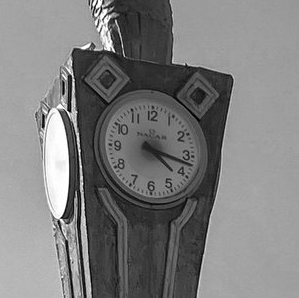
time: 4:17
